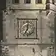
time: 7:00
